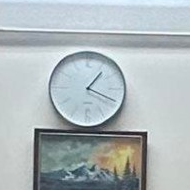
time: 1:18
